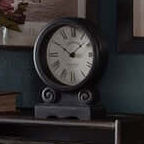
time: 1:50
